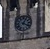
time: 4:04
